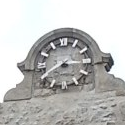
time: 8:15
